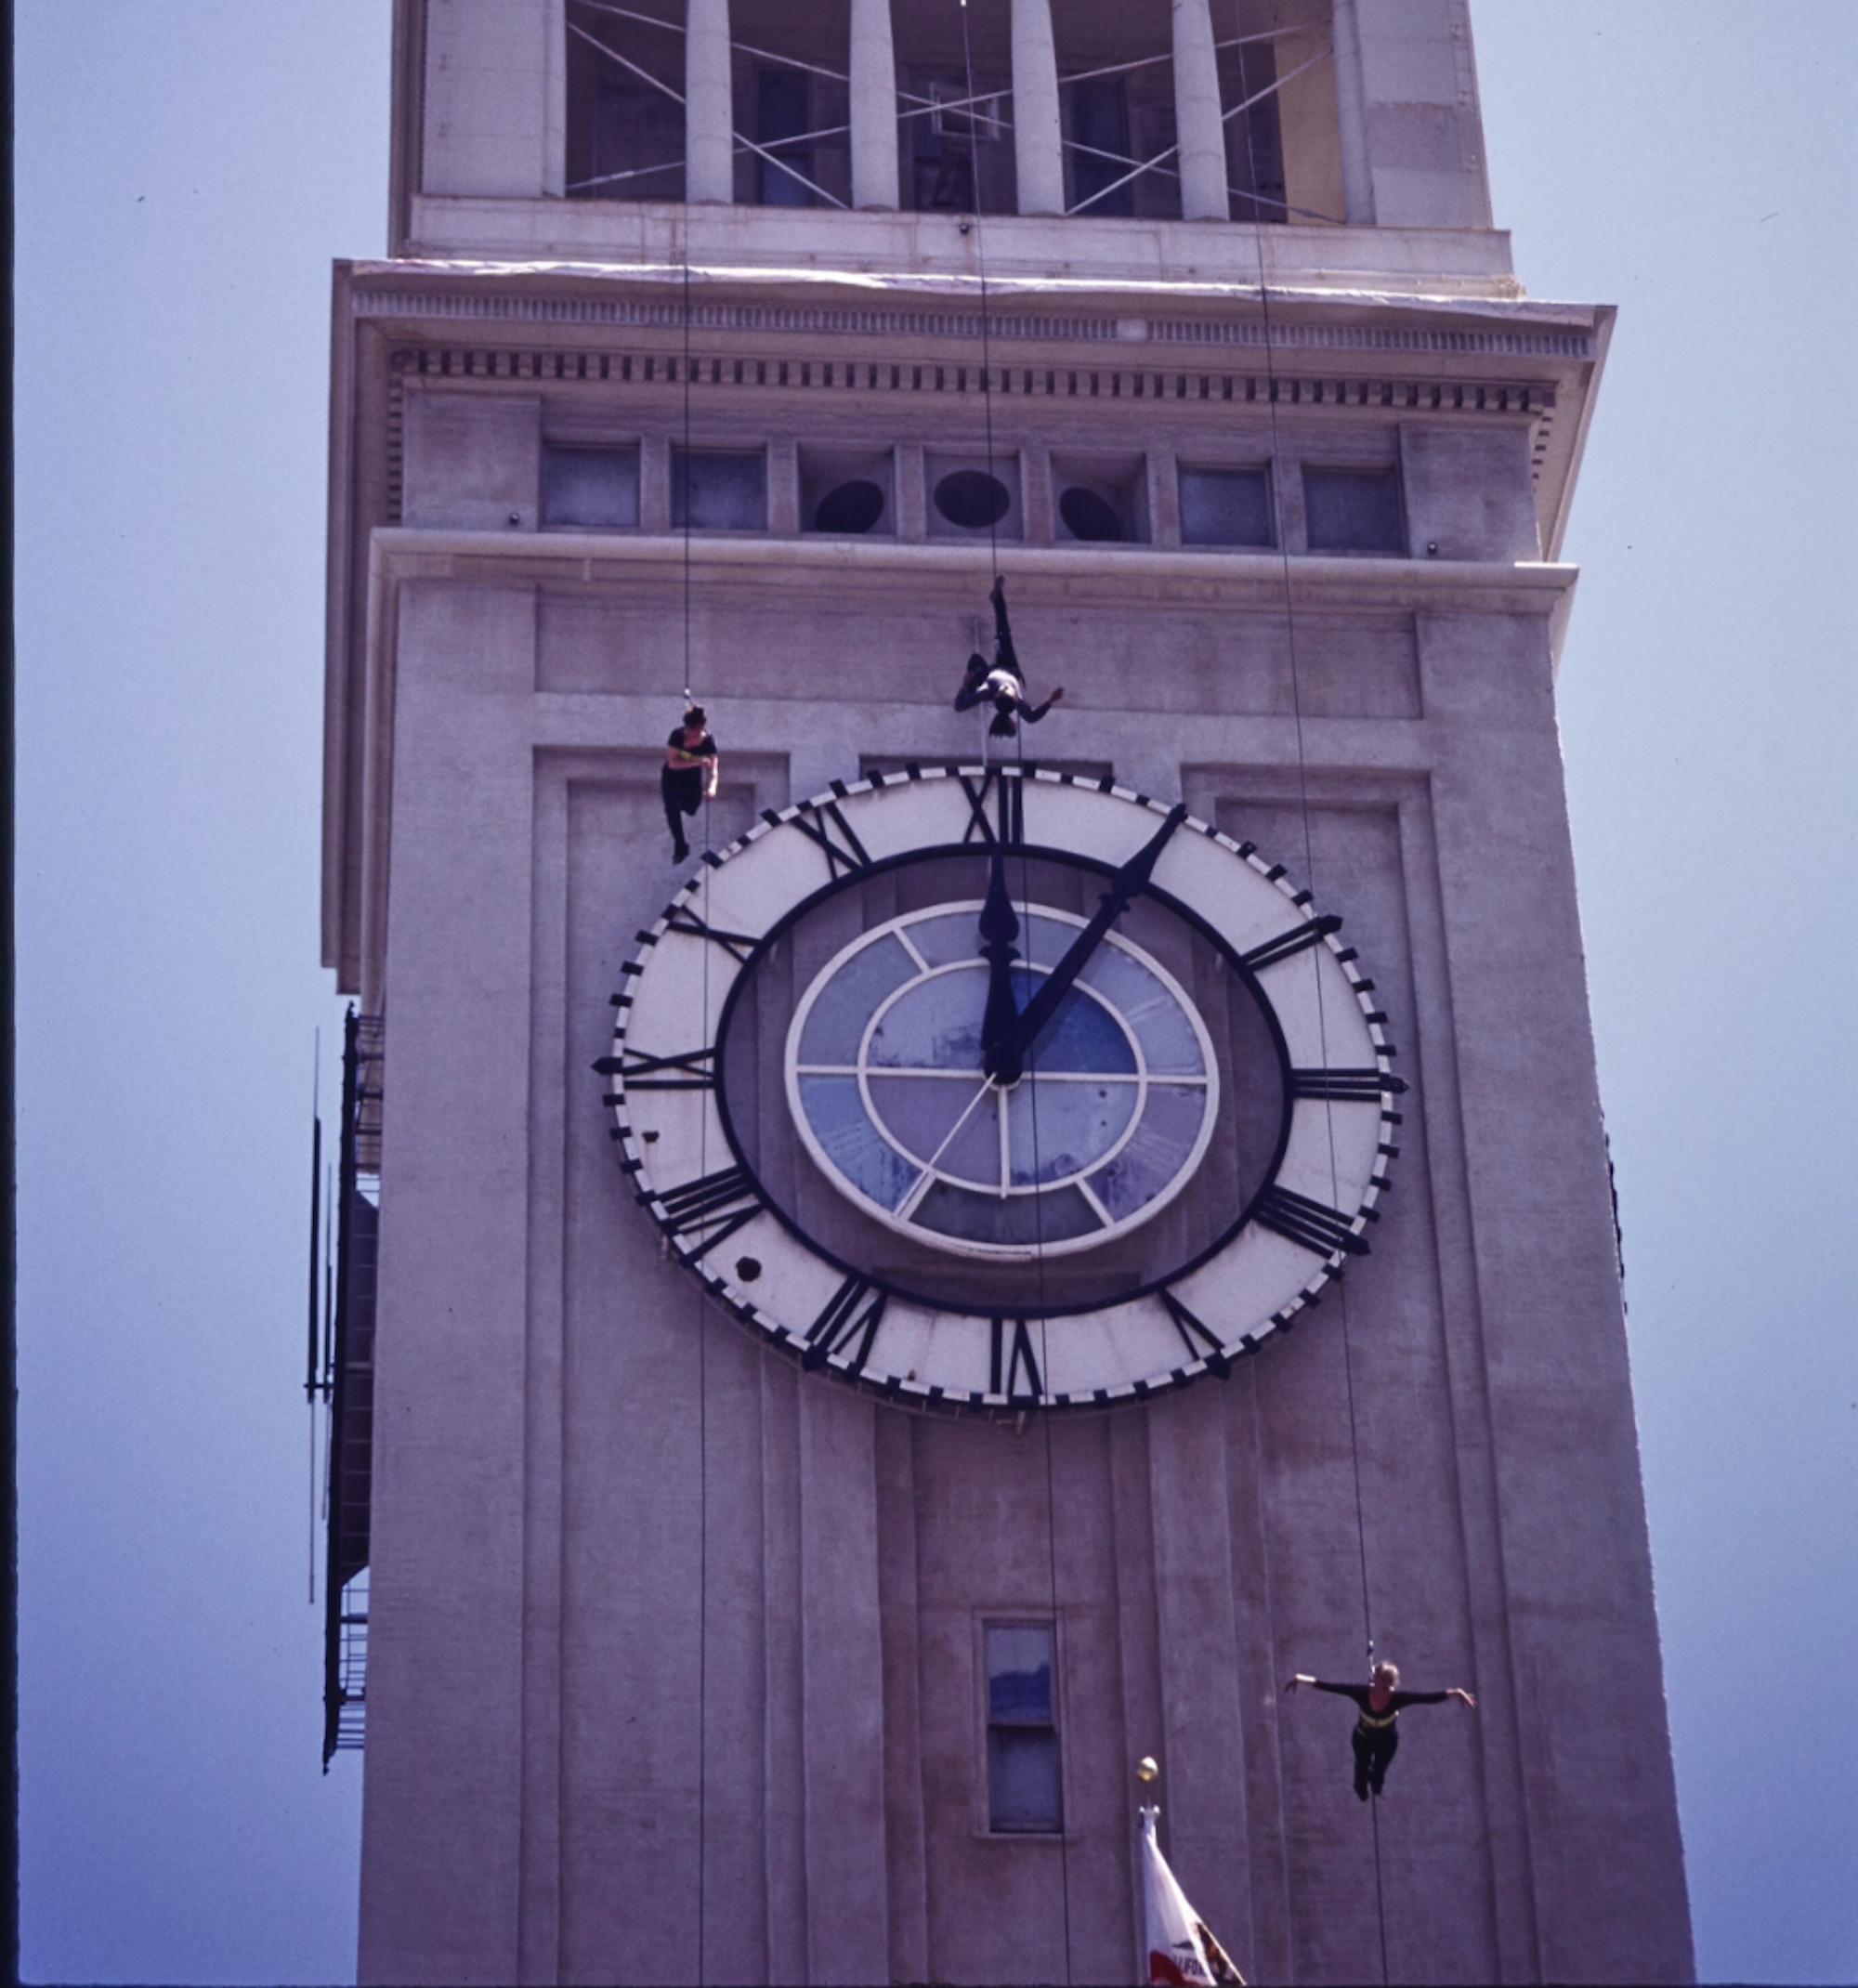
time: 12:05
